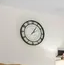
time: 2:06
